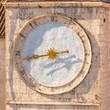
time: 2:43
